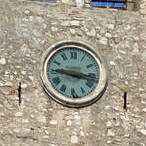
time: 9:16
